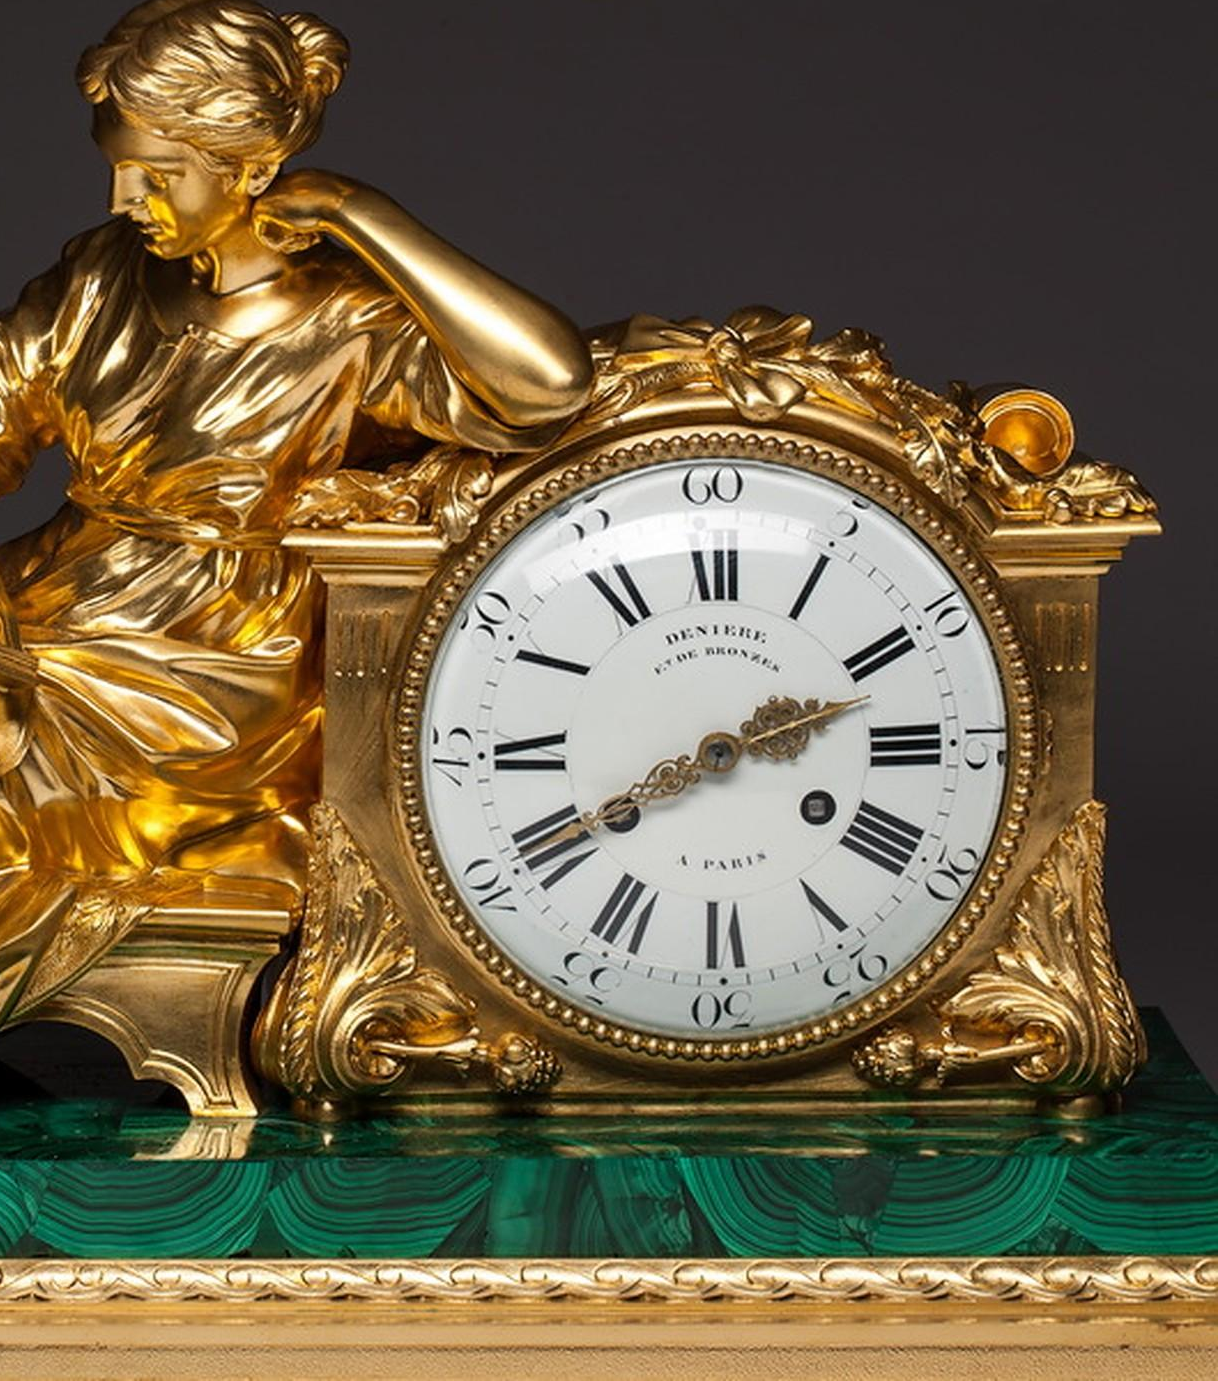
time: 2:40
